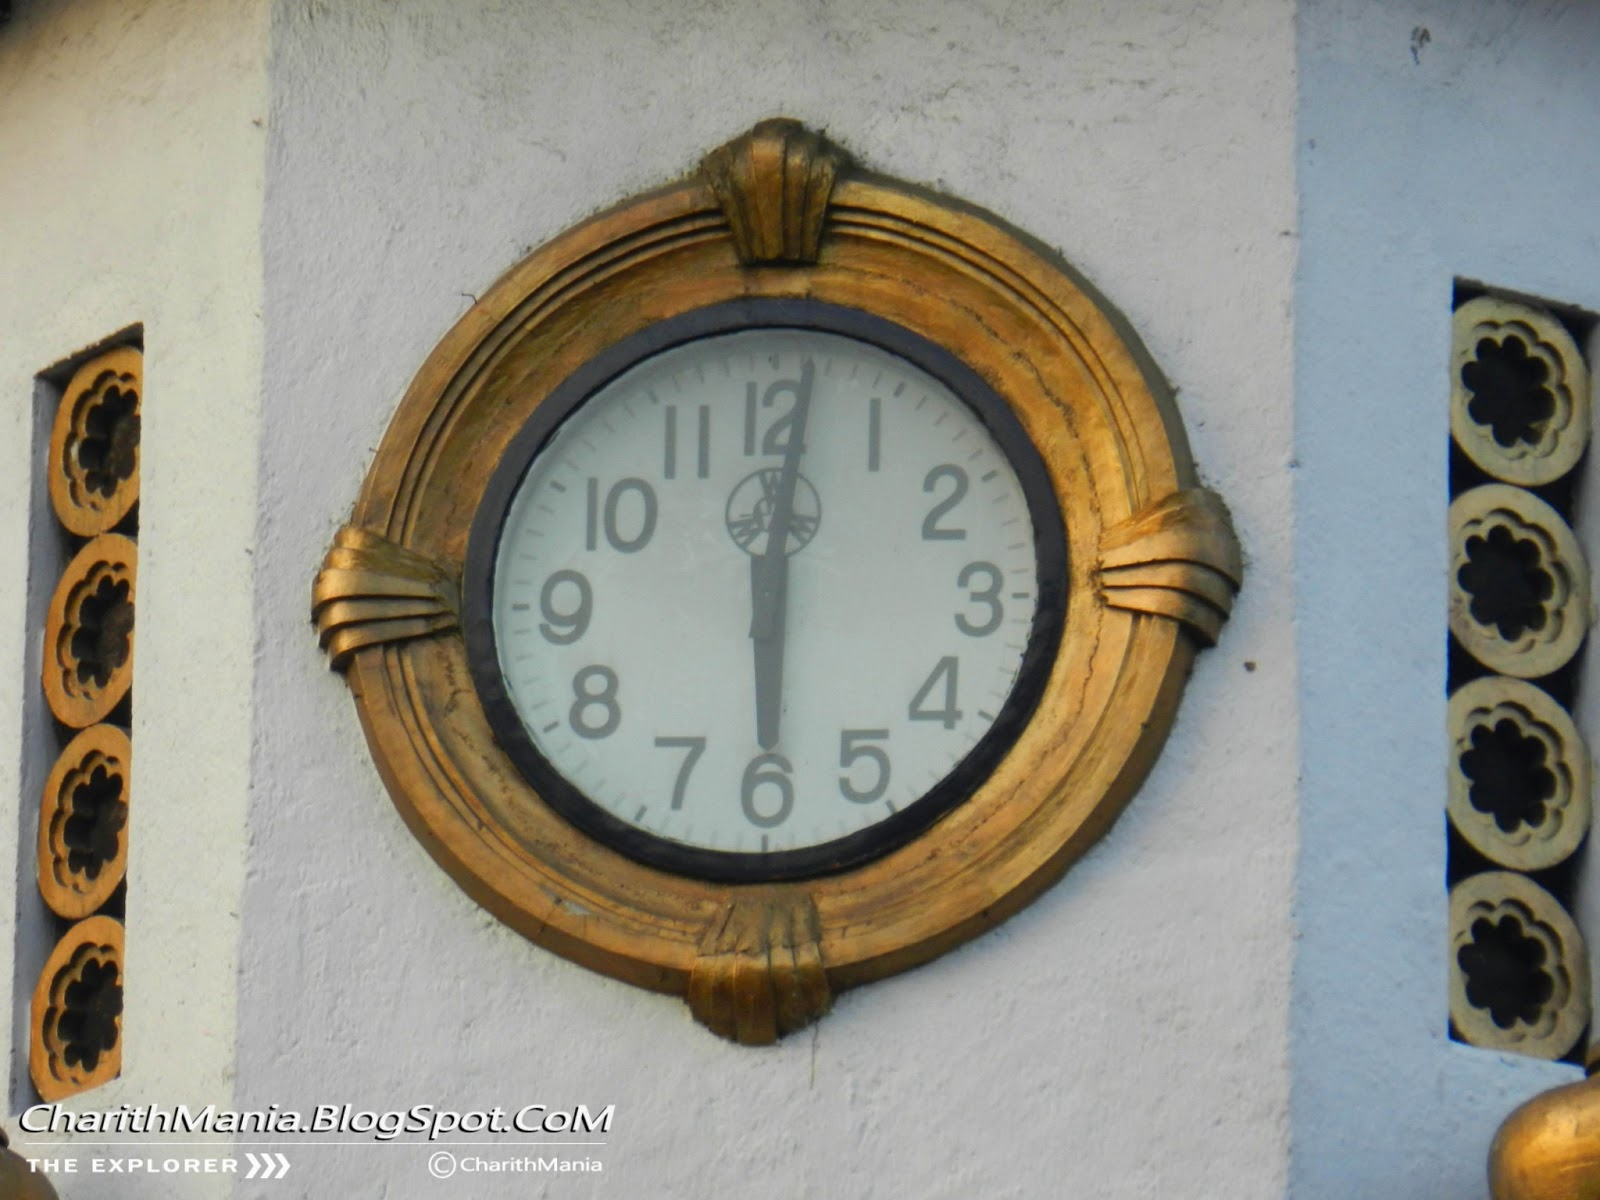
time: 6:00
